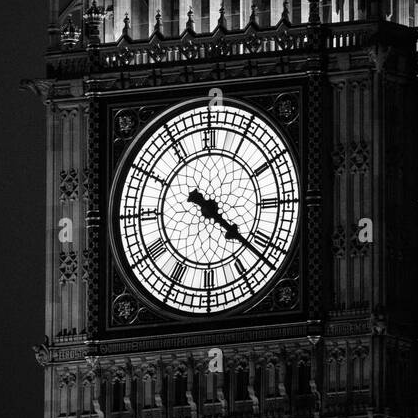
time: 4:21
